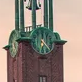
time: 12:22
